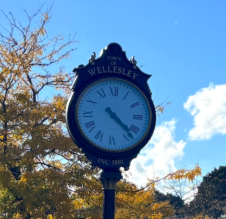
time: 4:22
